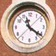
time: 11:21
